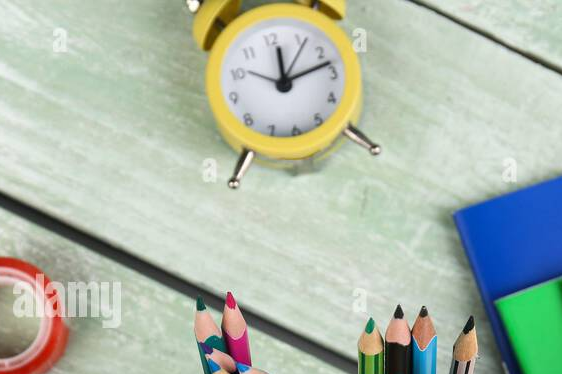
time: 12:12
